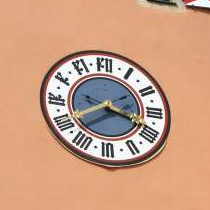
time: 3:40
